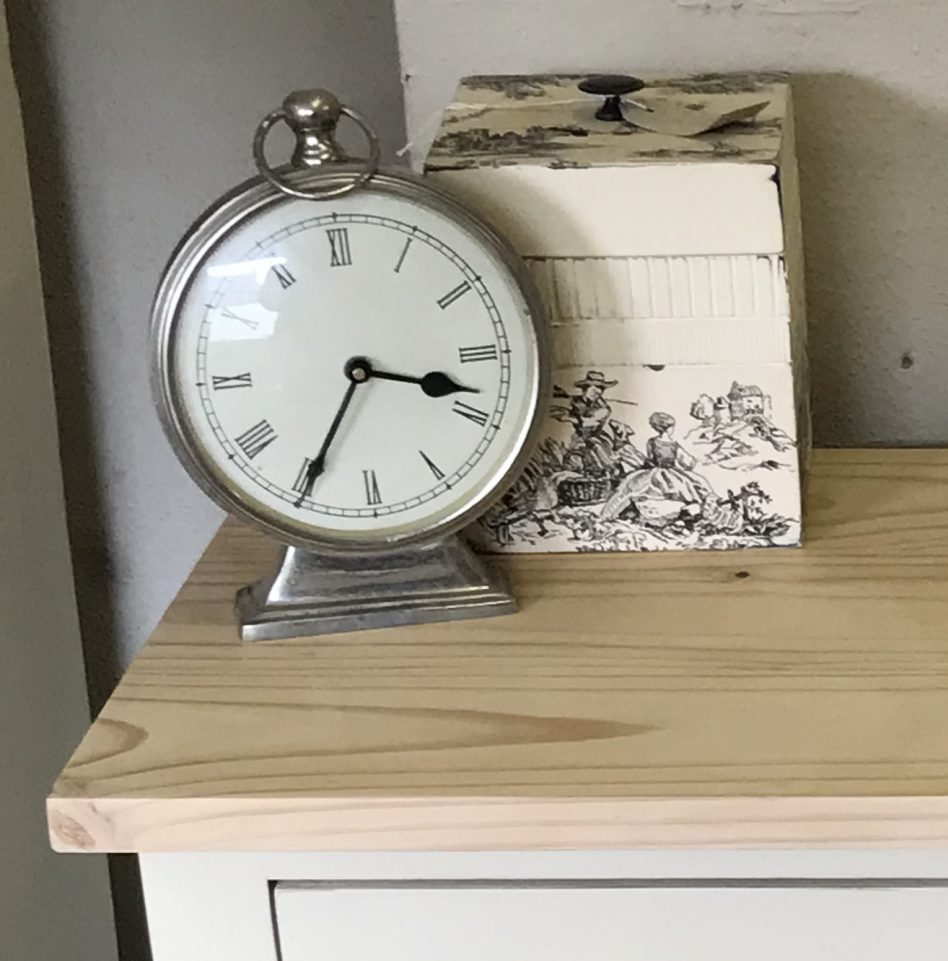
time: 3:34
